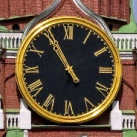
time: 10:55
